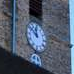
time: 11:50
